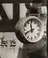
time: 11:41
